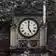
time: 4:59
